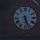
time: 5:26
